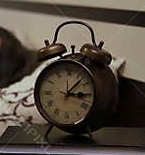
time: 3:07
